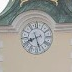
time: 8:27
